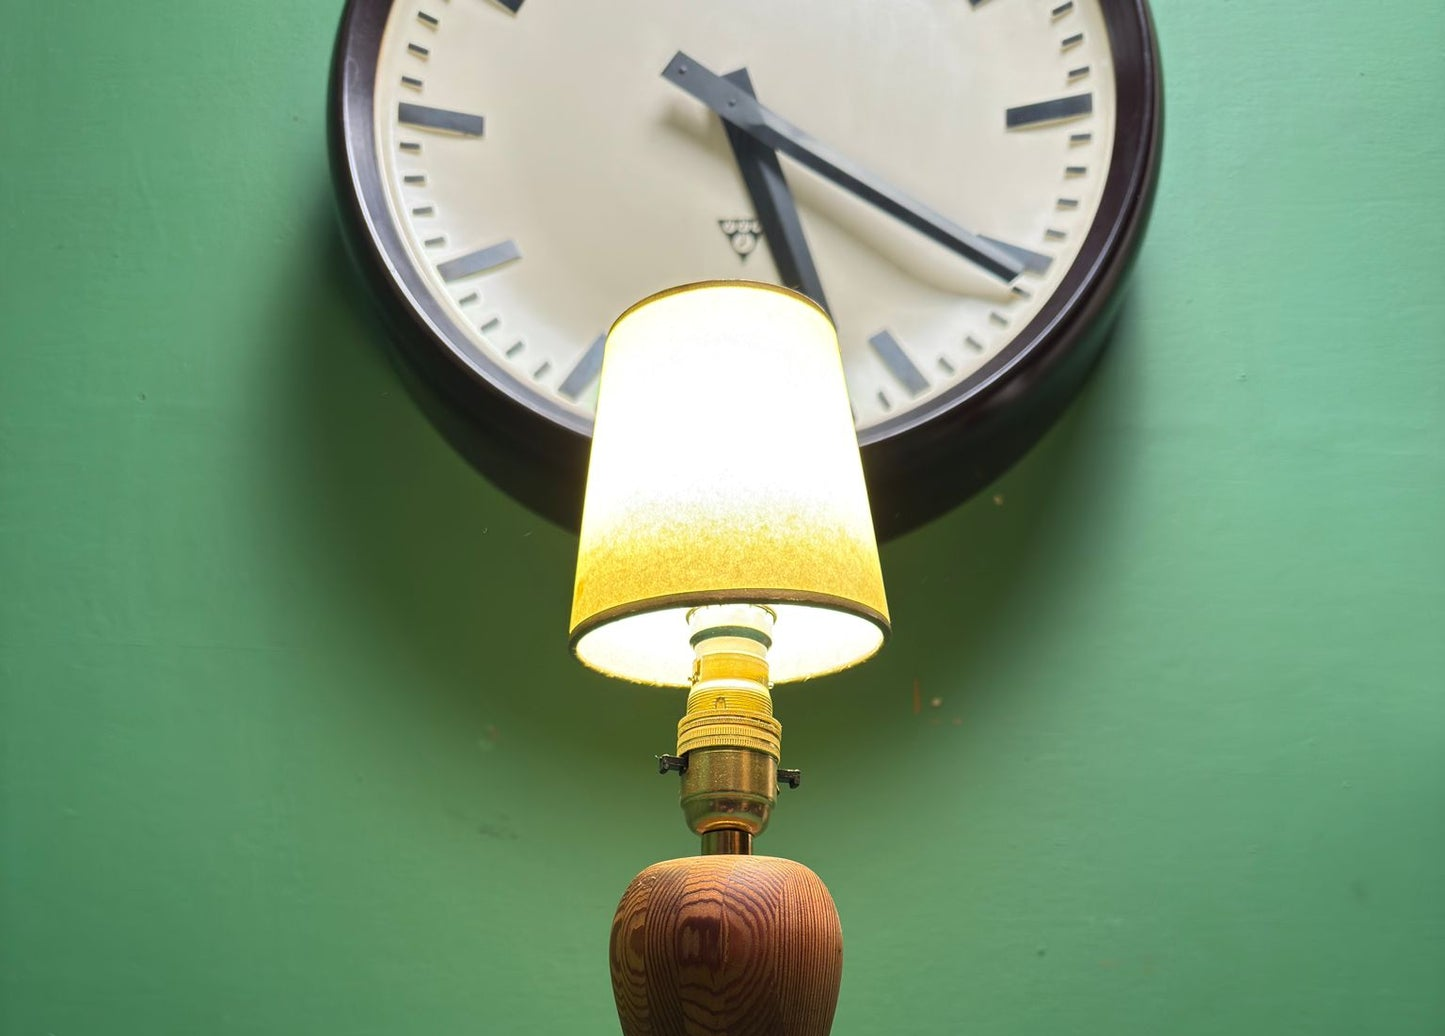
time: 5:20
